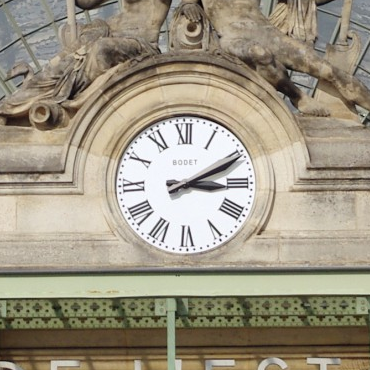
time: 3:10
